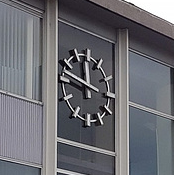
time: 11:47
